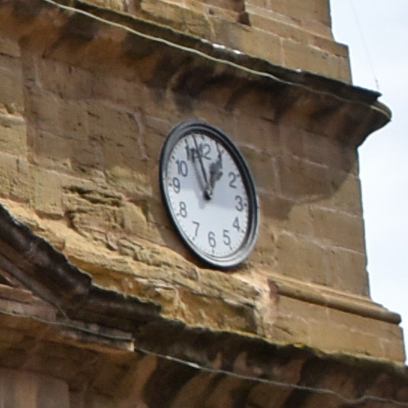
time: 12:57
